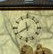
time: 11:39
